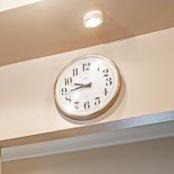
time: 9:43
